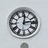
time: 12:13
